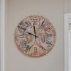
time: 11:48
